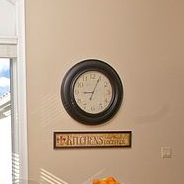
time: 9:04
